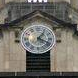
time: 1:18
